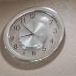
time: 8:53
